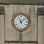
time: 11:07
